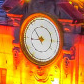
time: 10:44
